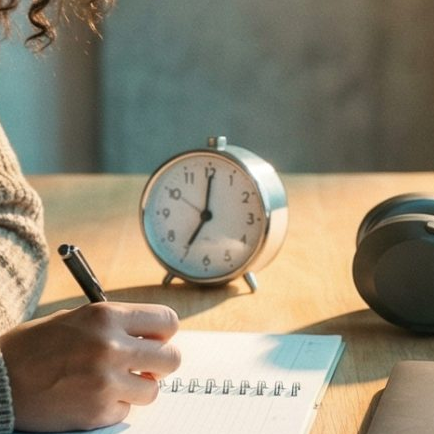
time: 7:00
